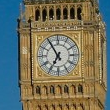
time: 6:54
